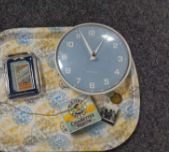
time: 12:55
